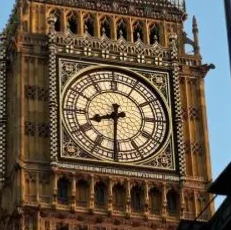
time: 8:30
